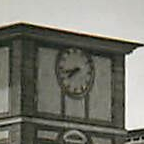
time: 7:42
